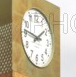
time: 1:46
